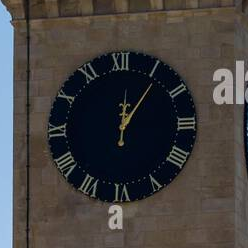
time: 12:06
